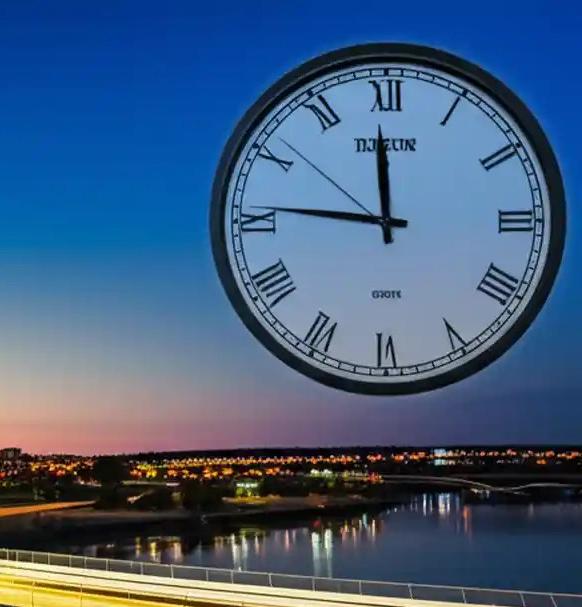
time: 11:45
